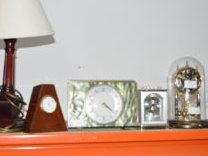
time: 4:22
